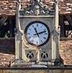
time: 11:12
